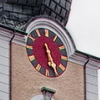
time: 5:26
